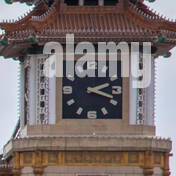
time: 2:18
